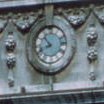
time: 10:41
